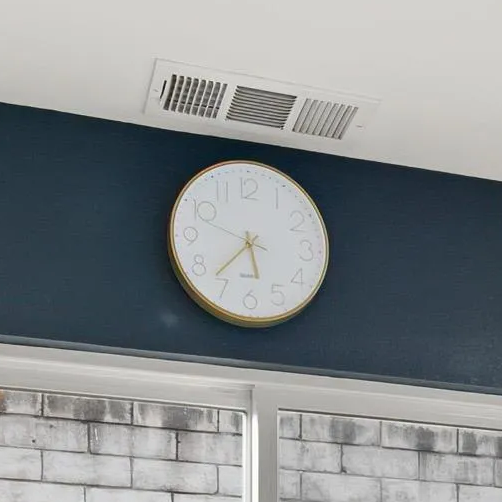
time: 5:37
